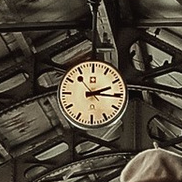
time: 2:15
